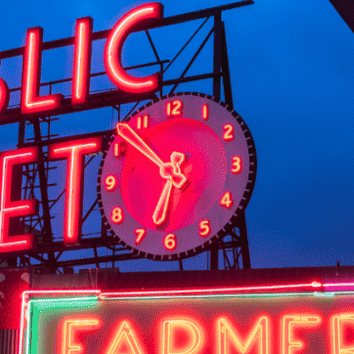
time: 6:52
